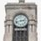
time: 2:42
